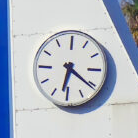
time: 6:21
